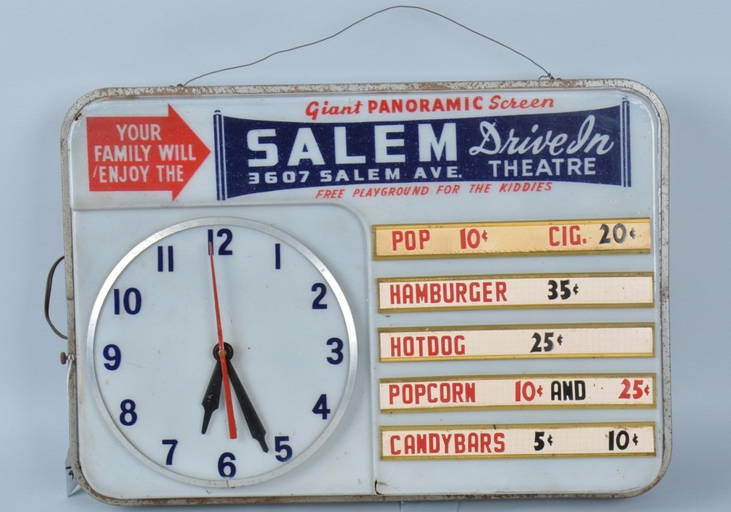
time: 6:26
